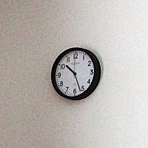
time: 10:26
